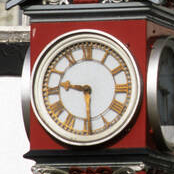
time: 9:29
